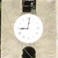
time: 9:01
